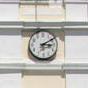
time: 3:09
